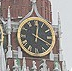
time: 12:19
